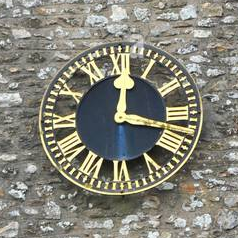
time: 12:17
